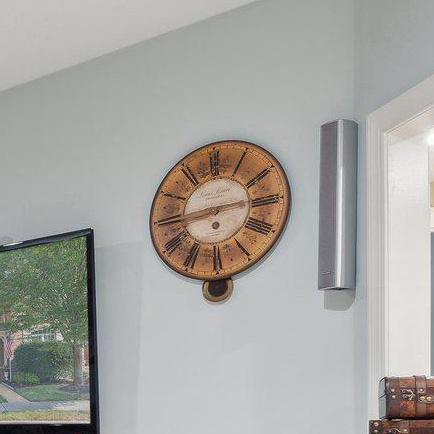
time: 8:44
